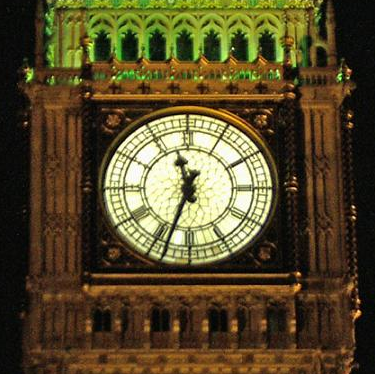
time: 11:33
